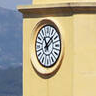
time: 11:07
